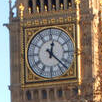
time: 12:22
